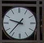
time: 9:36
